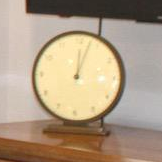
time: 12:03
